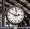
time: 2:48
